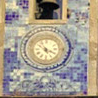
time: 5:19
